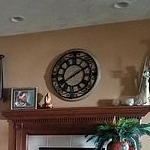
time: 8:09
